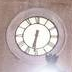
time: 6:31
